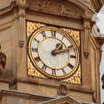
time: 1:11
